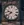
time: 9:39
